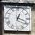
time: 12:18
